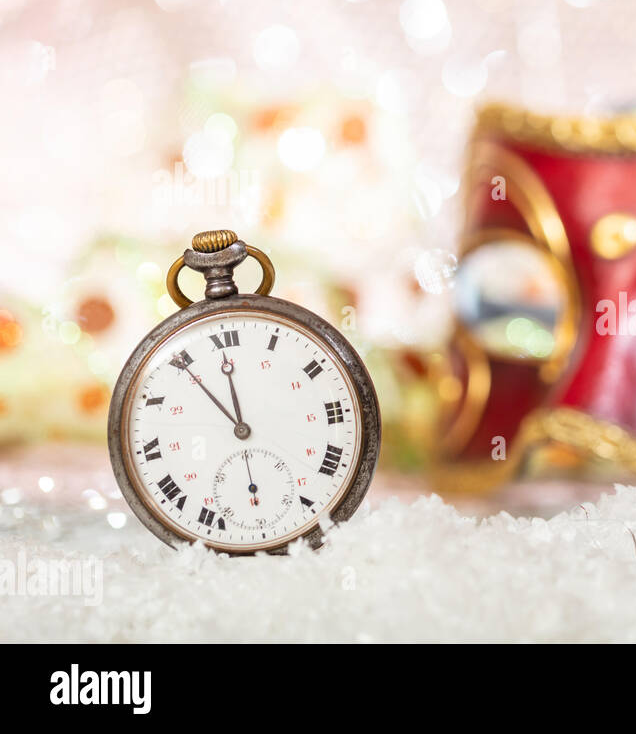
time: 11:54
